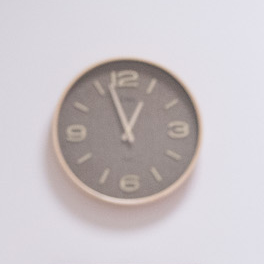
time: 12:57
